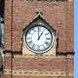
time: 1:00
